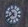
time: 7:52
